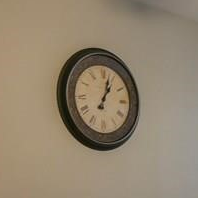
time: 1:02
